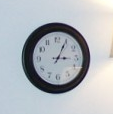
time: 3:04
